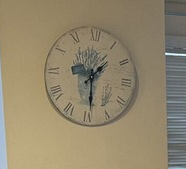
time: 1:29
